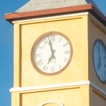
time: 6:57
